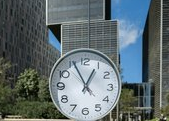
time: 12:55
